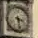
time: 3:28
